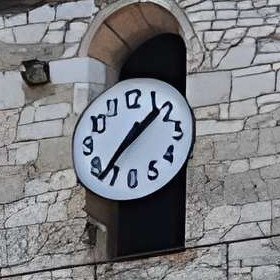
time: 1:36
